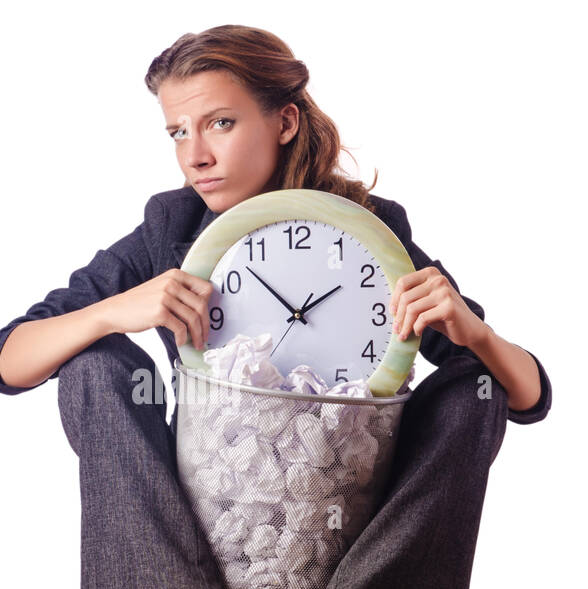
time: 1:52
